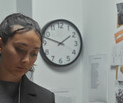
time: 1:47
